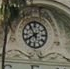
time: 7:53
